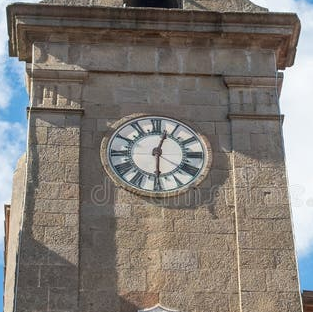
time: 12:29
